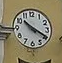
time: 10:19
